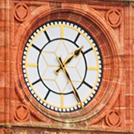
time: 1:24
